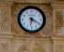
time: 6:20
